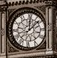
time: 12:07
